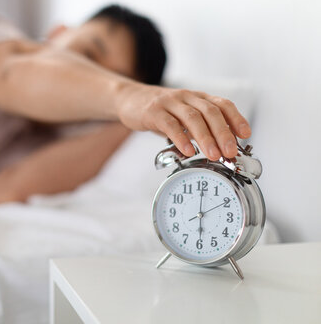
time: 6:00
